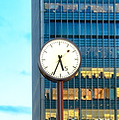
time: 5:34
